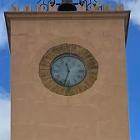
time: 11:32
